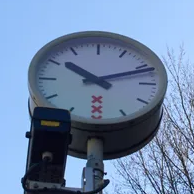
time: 10:12
